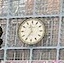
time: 11:35
